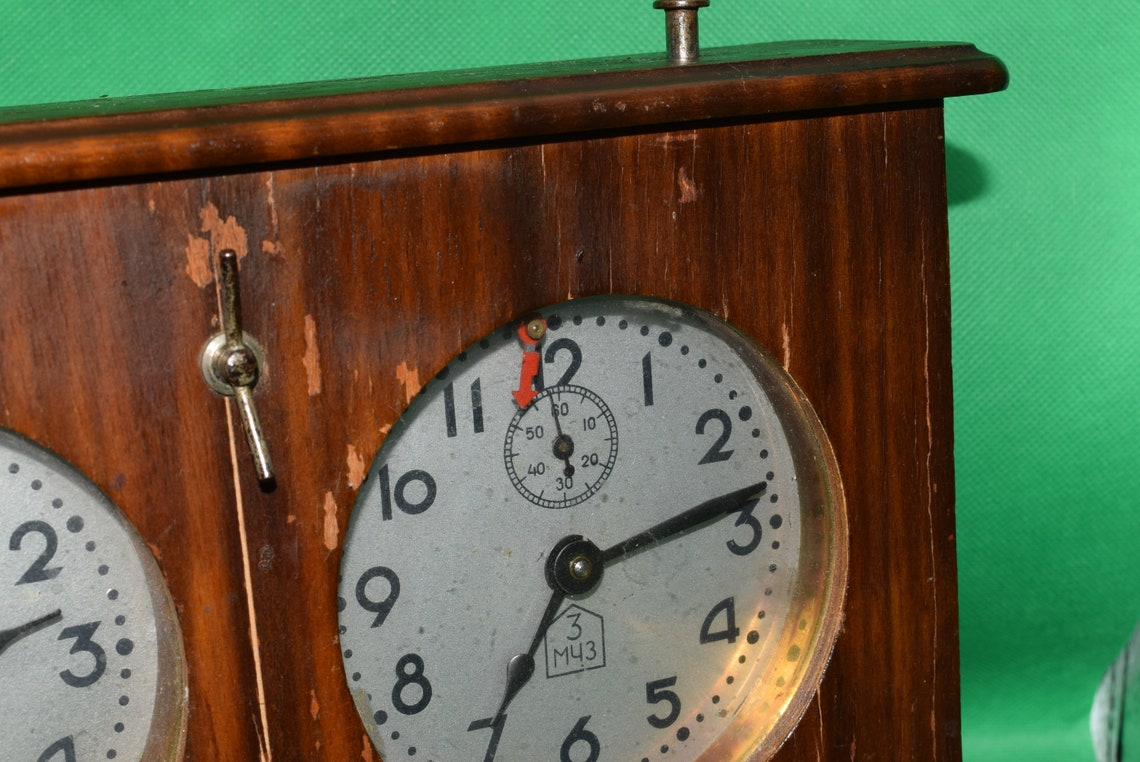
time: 7:13
